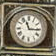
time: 11:15
